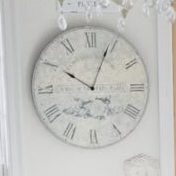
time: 10:03
